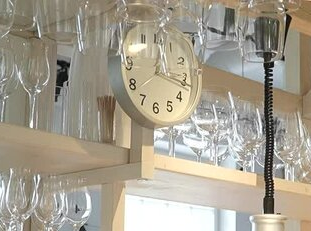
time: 12:16
